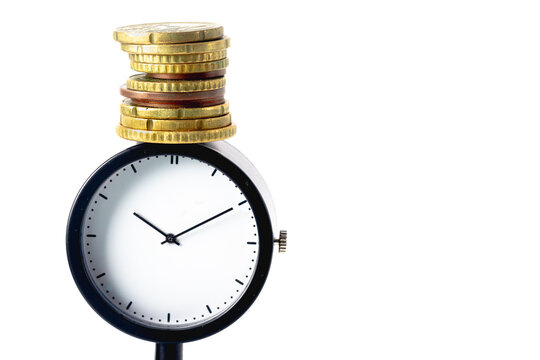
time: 10:09
